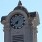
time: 6:38
